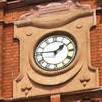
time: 1:46
